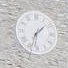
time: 1:32
